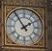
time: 1:54
